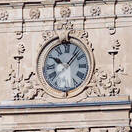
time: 10:07
